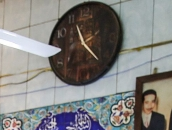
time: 11:22
